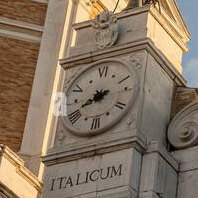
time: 8:41
